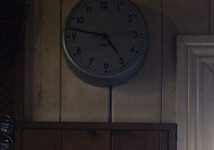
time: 4:47
